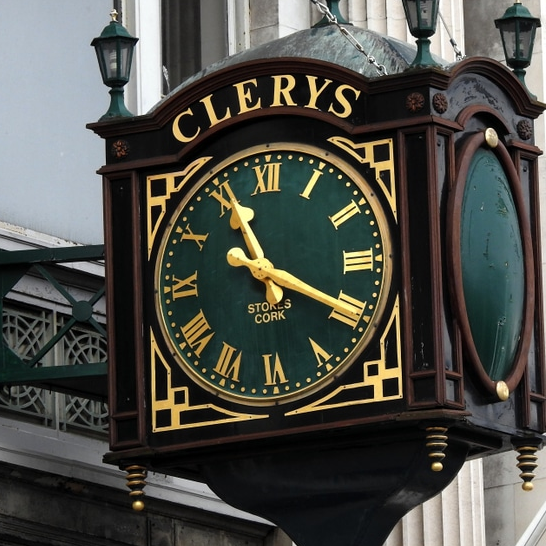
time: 11:19
